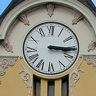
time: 3:15
